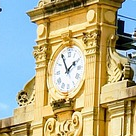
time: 1:54
